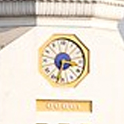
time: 3:32
